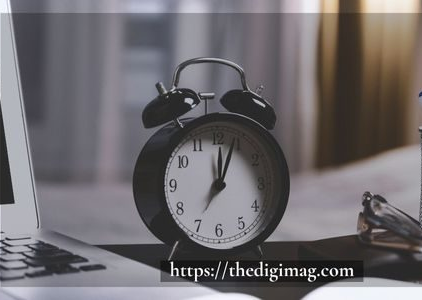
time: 12:03
